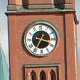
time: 3:34
